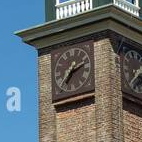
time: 7:12
